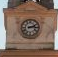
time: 2:14
